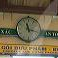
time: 11:17
